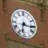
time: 6:15
